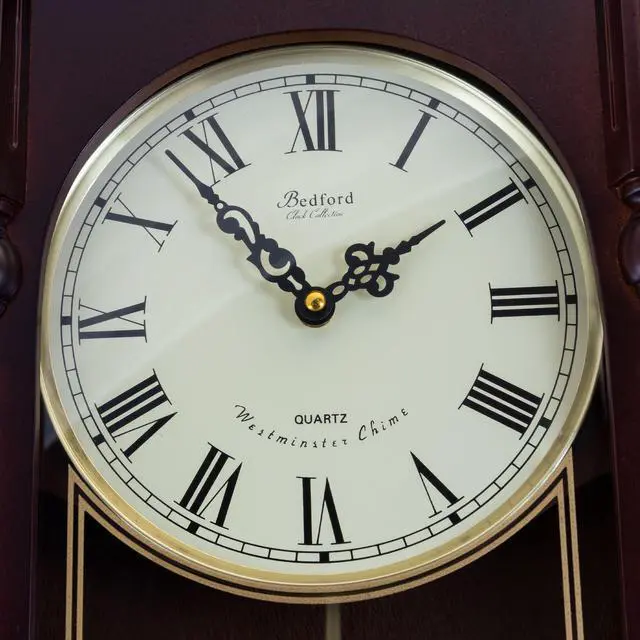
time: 1:53
